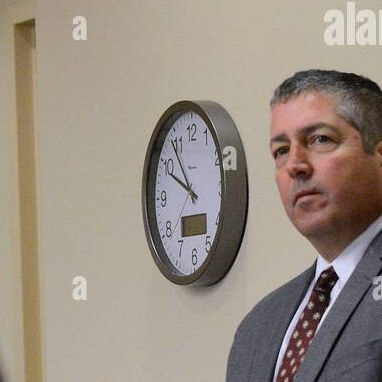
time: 9:53
